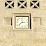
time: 3:01
